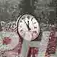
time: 11:53
